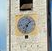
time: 1:33
